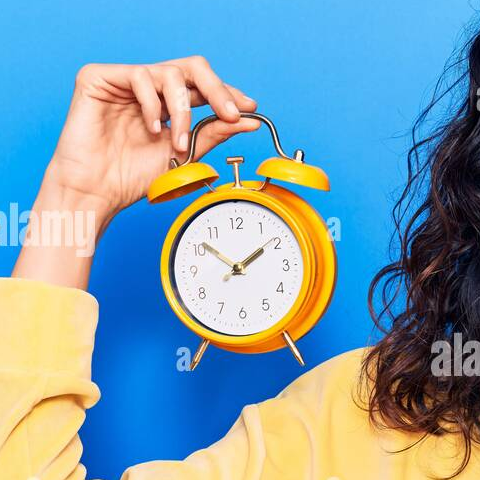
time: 1:51
